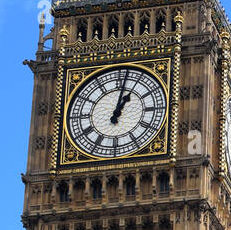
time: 1:02
